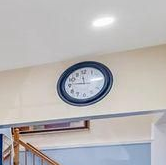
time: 11:46
